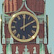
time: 2:00
